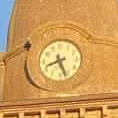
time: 8:26
